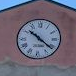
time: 10:21
